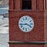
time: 3:43
